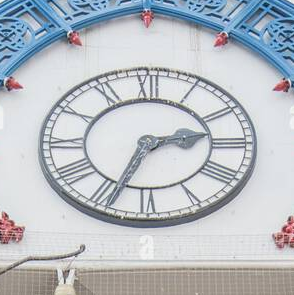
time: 2:33
